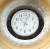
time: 10:03
